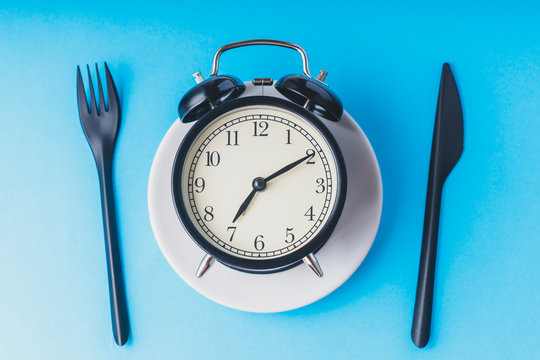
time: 7:09
